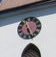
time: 5:26
